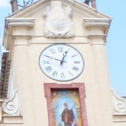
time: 12:49
